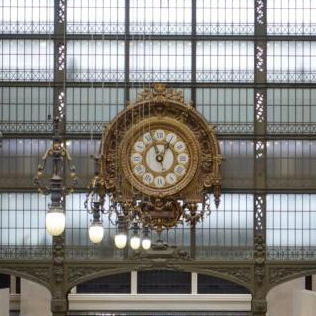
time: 12:57
